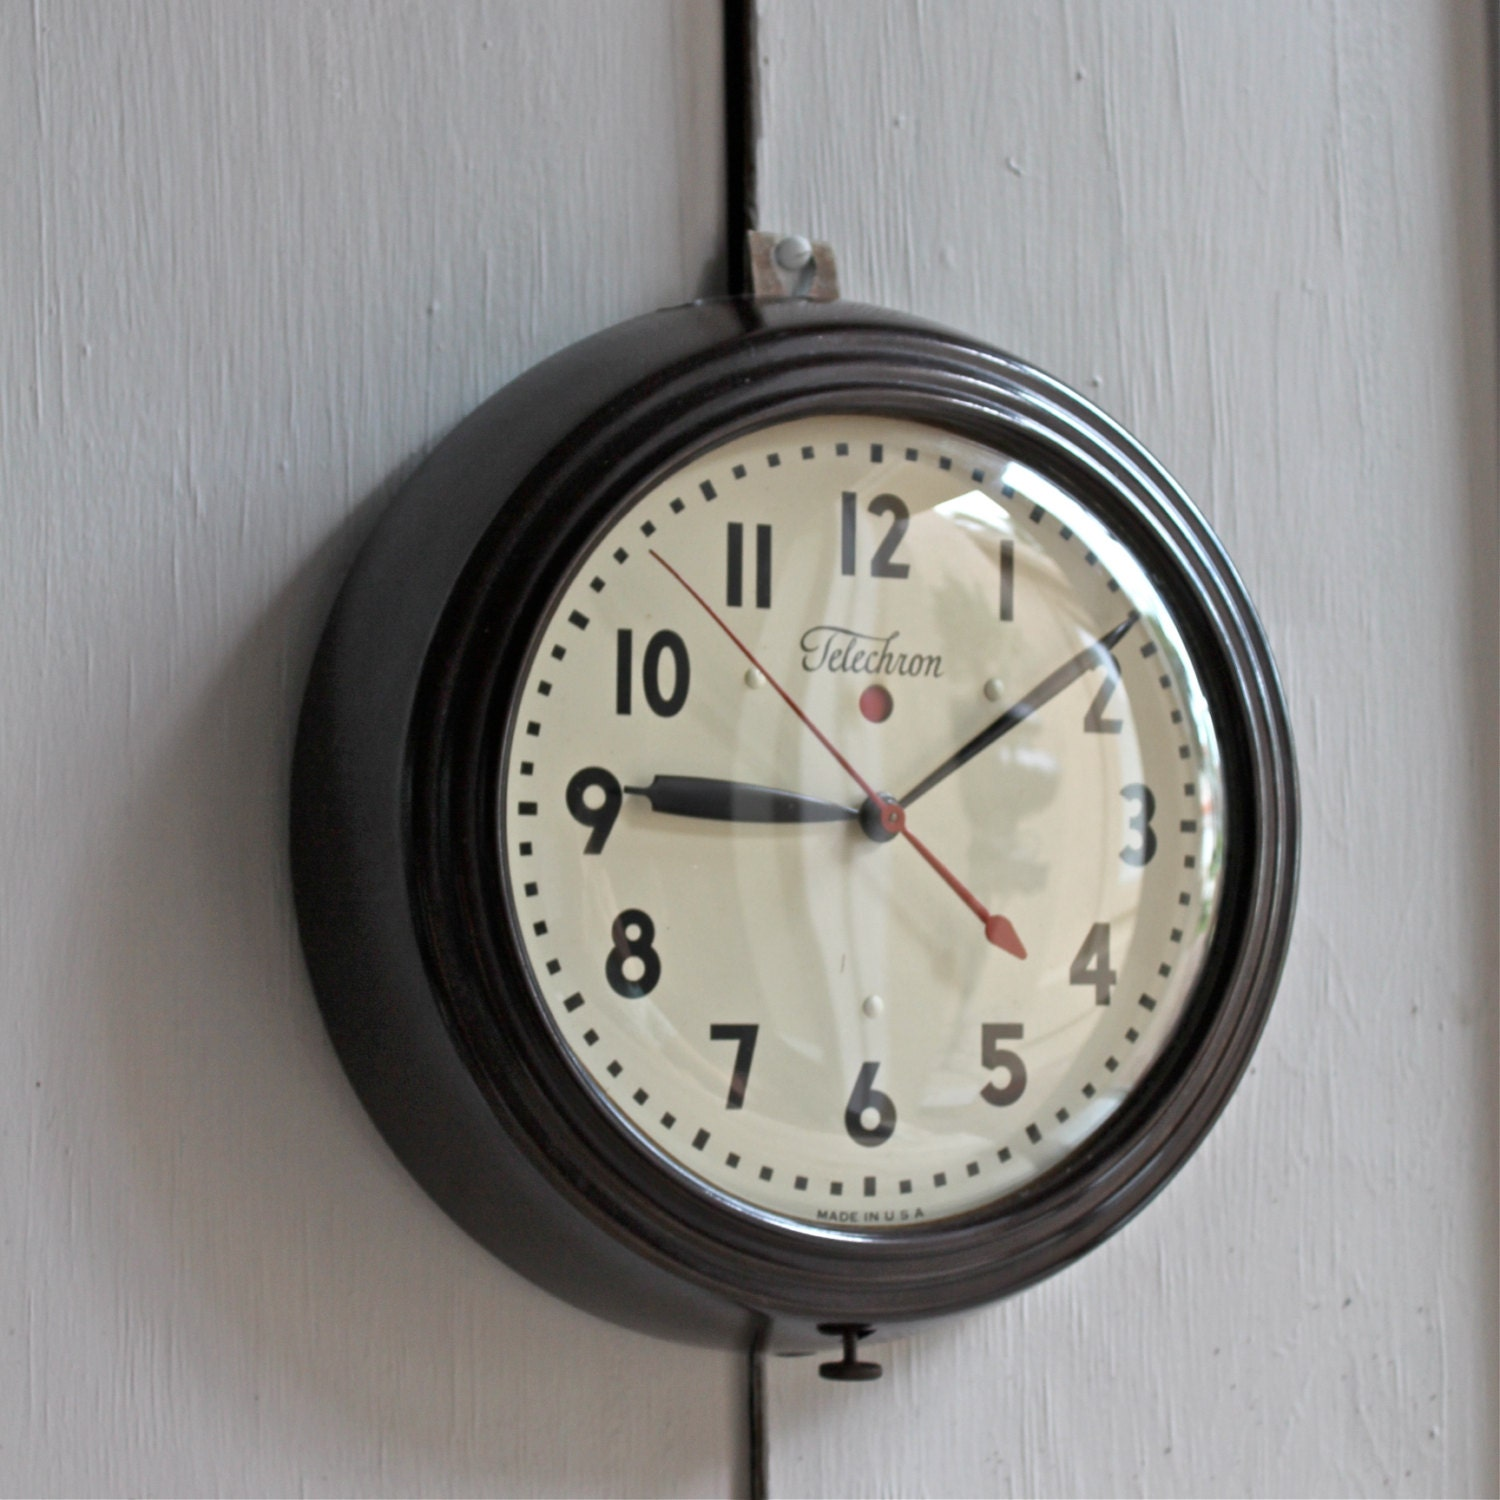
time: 9:09
